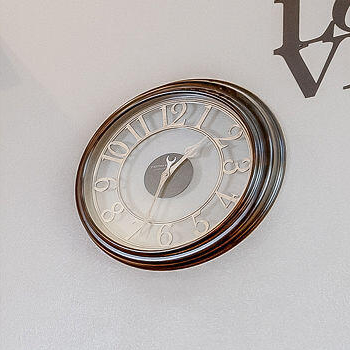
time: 1:33
